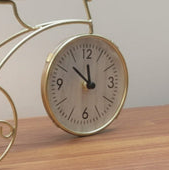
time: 11:52
